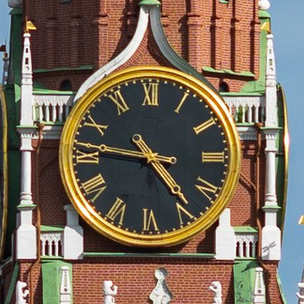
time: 4:46
